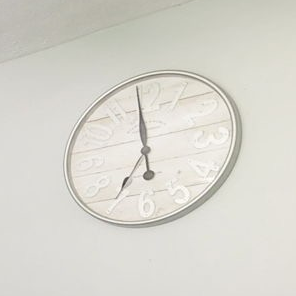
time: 6:58
